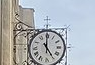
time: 4:59
